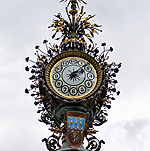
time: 2:08
